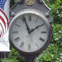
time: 1:56
